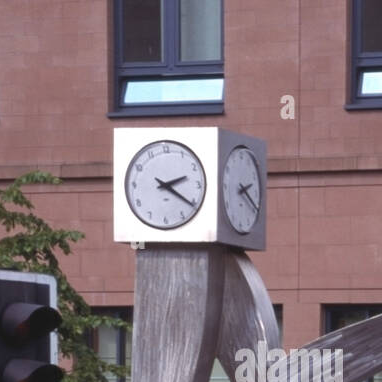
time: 2:20
